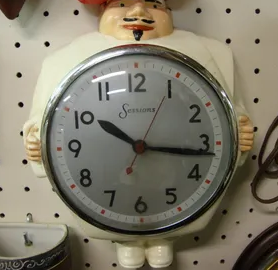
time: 10:16
